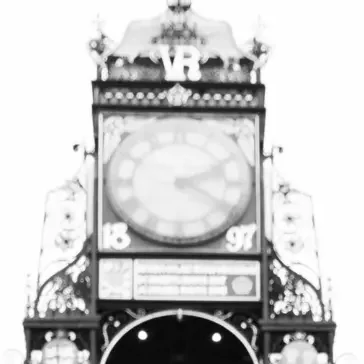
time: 2:21
